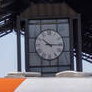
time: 10:15
